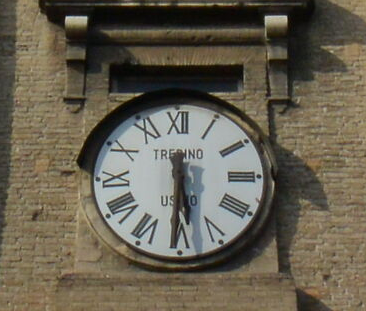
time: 5:30
